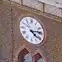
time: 4:13
